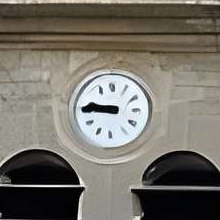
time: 9:45
